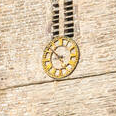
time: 8:52
